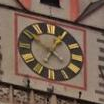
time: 12:50
